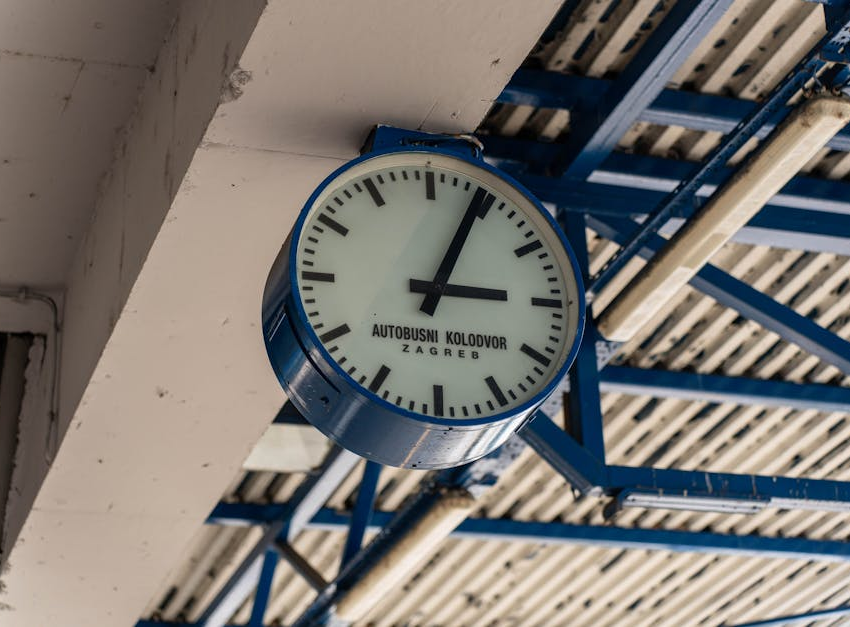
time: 3:04
